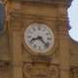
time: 8:22
